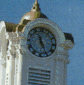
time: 11:25
